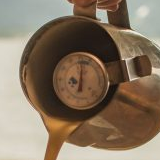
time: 9:01
